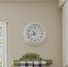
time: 10:42
